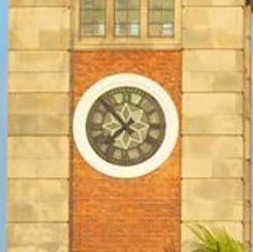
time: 7:52
